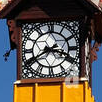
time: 3:40
